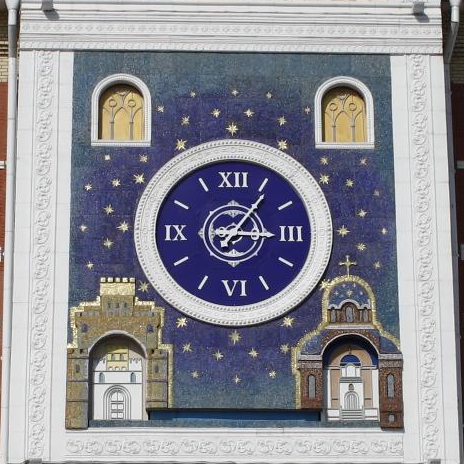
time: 3:06
